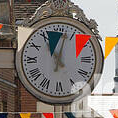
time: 11:02
